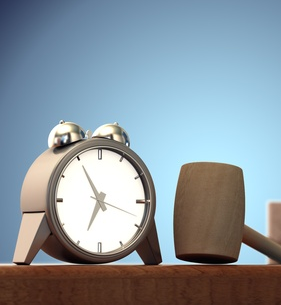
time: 6:55
